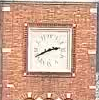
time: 2:40
